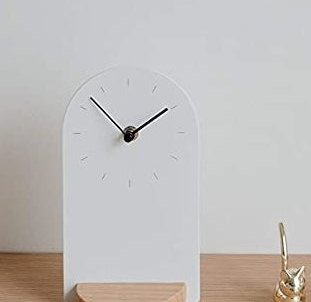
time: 1:52
